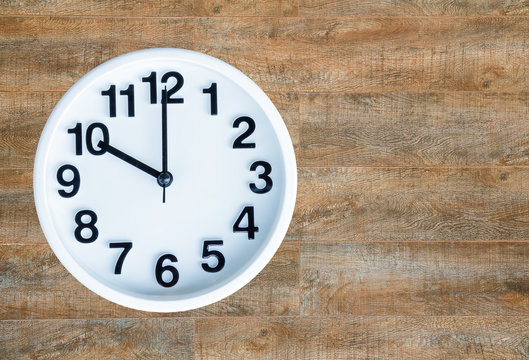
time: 10:00
